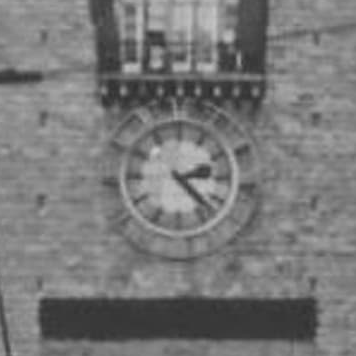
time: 2:22
